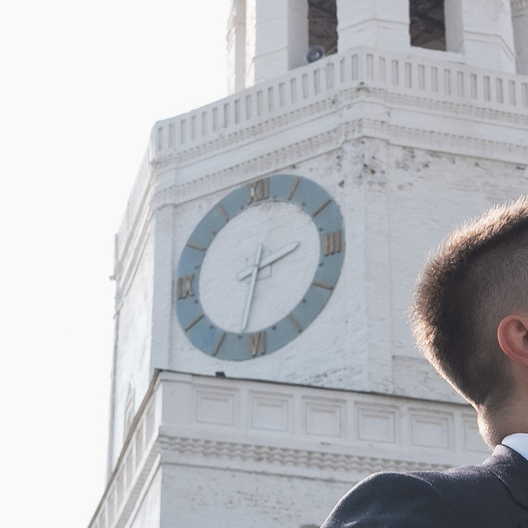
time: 2:32
